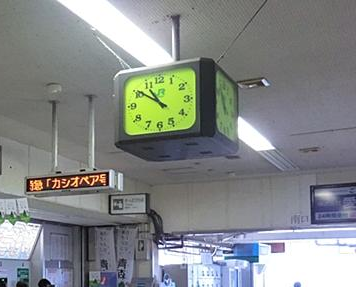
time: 10:50
